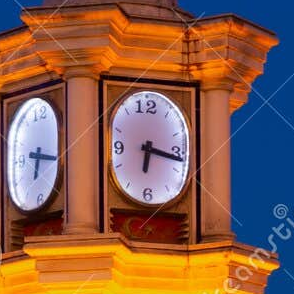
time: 6:16
